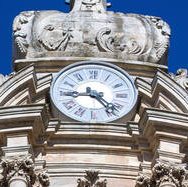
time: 4:44
